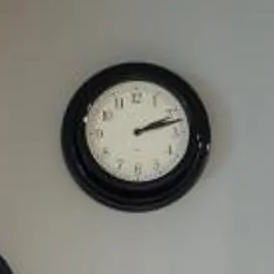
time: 2:12
